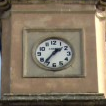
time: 1:36
